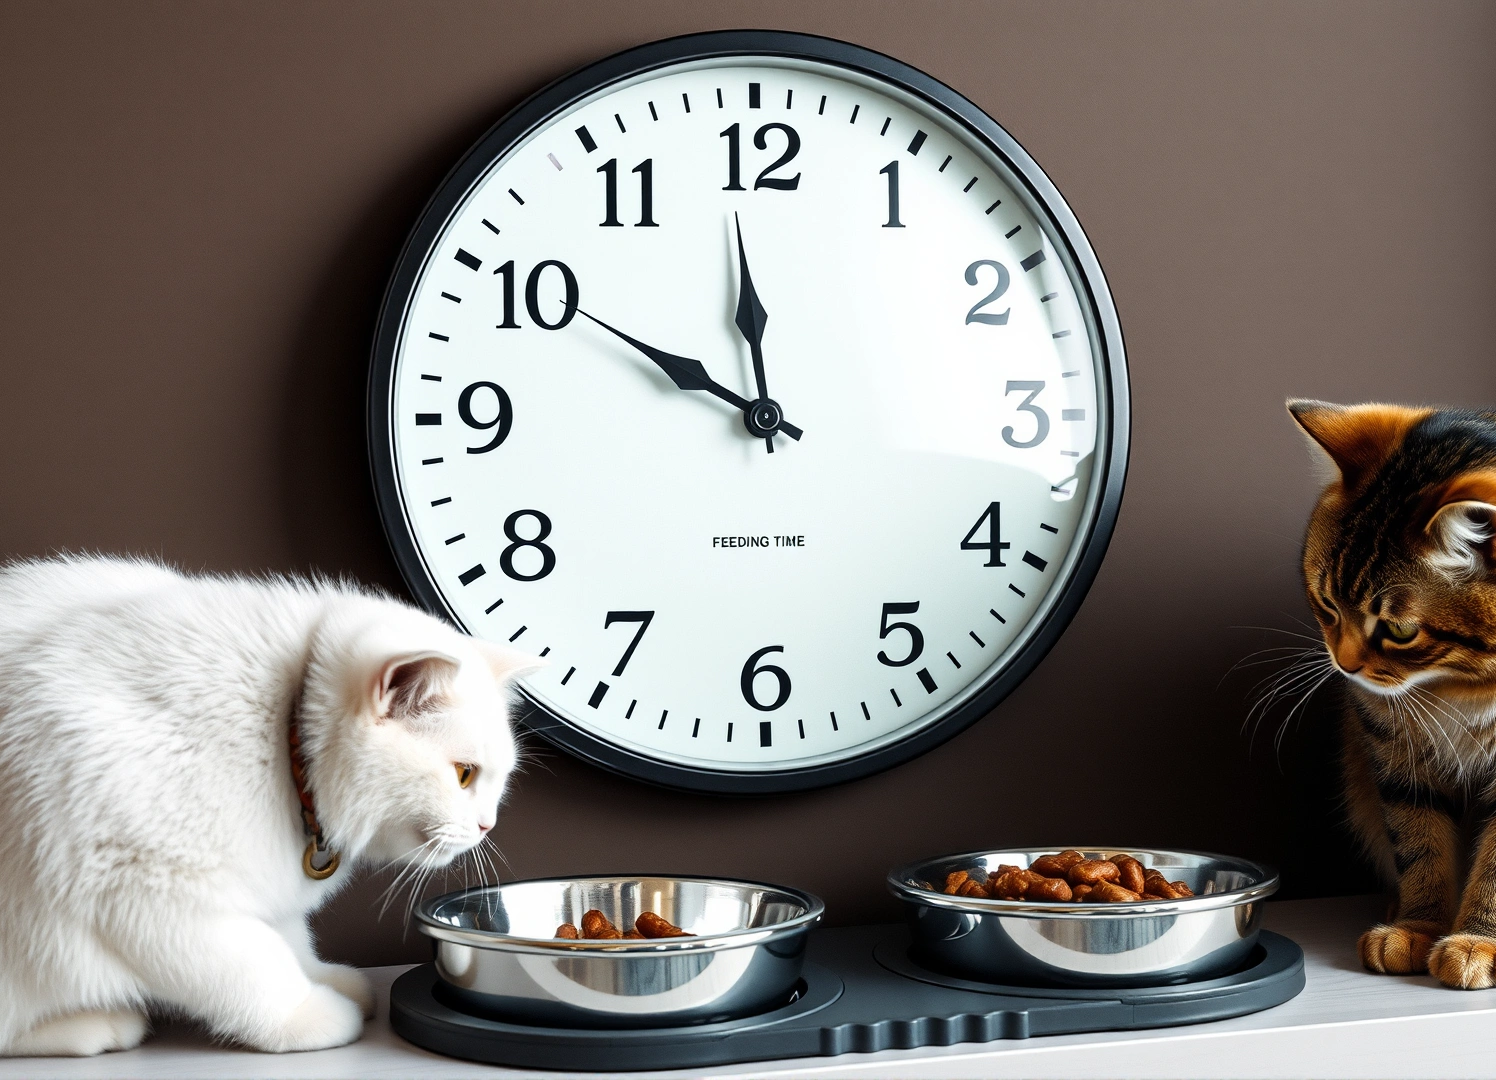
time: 11:49
